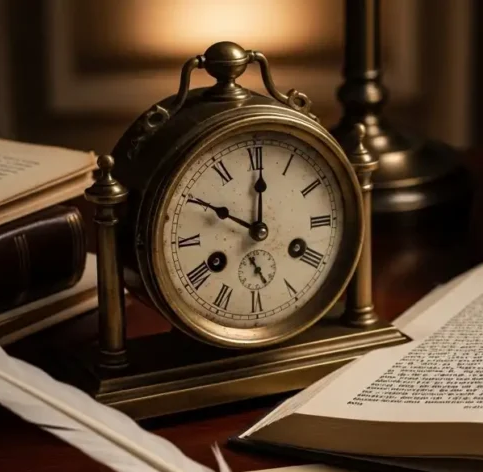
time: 10:00
